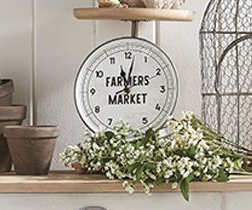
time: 11:01
